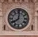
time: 8:01
